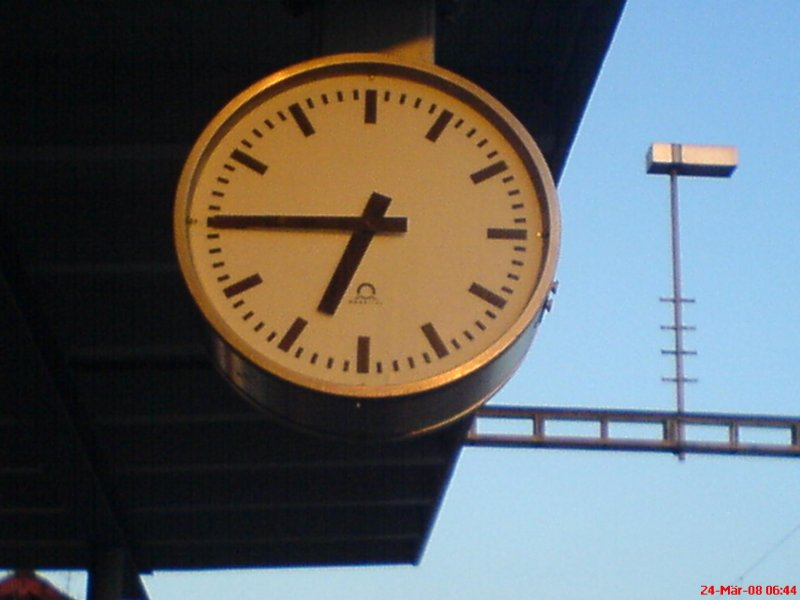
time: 6:45
